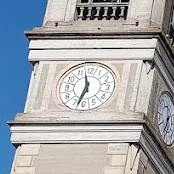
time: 11:32
